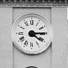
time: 4:14
